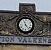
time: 11:23
